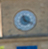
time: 11:18
